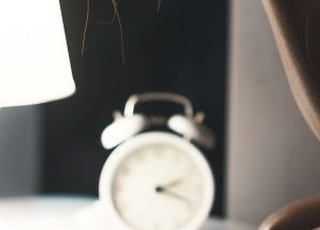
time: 2:18
